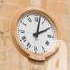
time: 2:01
